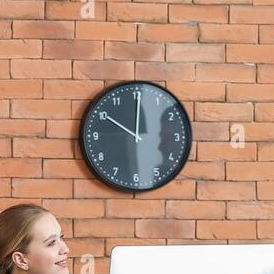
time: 10:00
